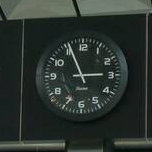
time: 2:55
